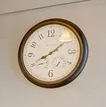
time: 8:09
